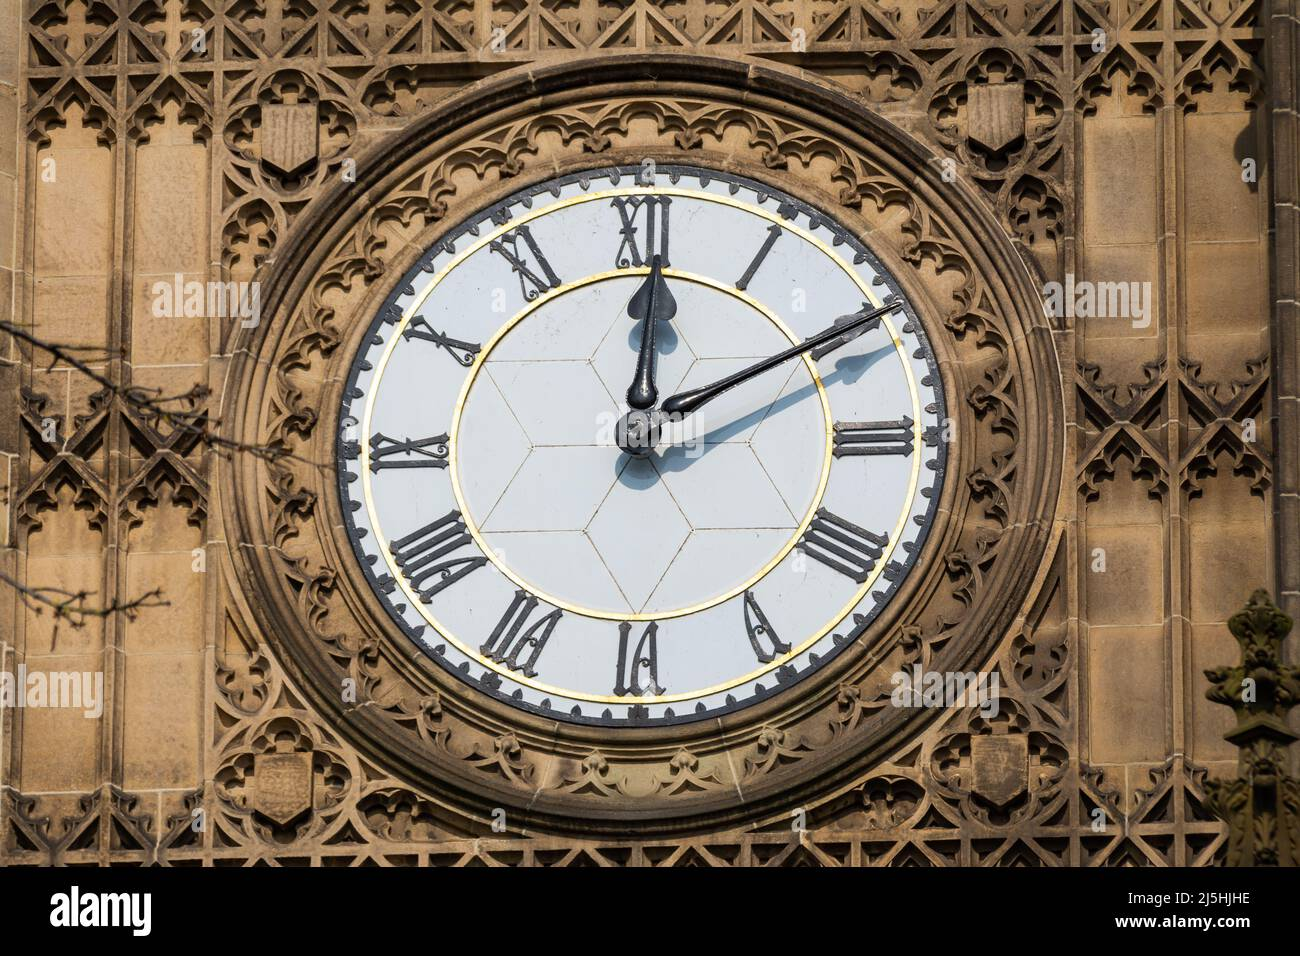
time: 12:09
